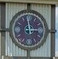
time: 2:58
